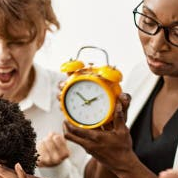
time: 1:51
